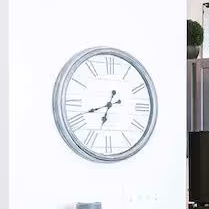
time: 6:41
